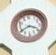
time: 3:40
